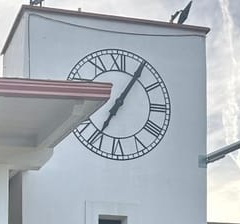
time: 7:05
